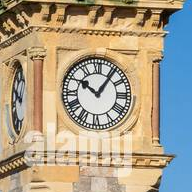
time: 10:06
